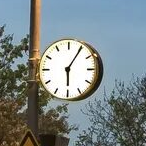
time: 6:05
